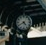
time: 4:40
